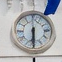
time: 6:30
